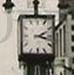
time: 2:17
